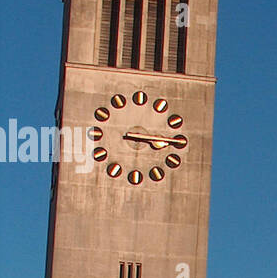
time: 3:15
